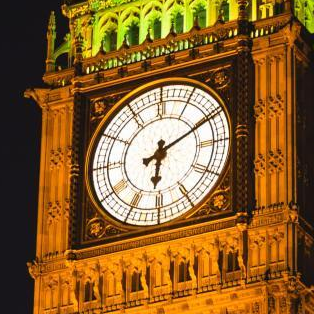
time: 6:10
